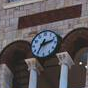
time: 2:35
